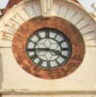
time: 3:44
